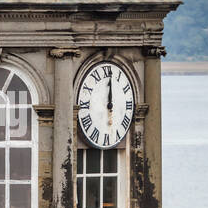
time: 12:00
